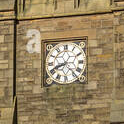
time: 8:23
